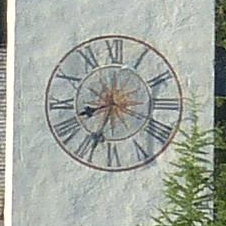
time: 8:33
